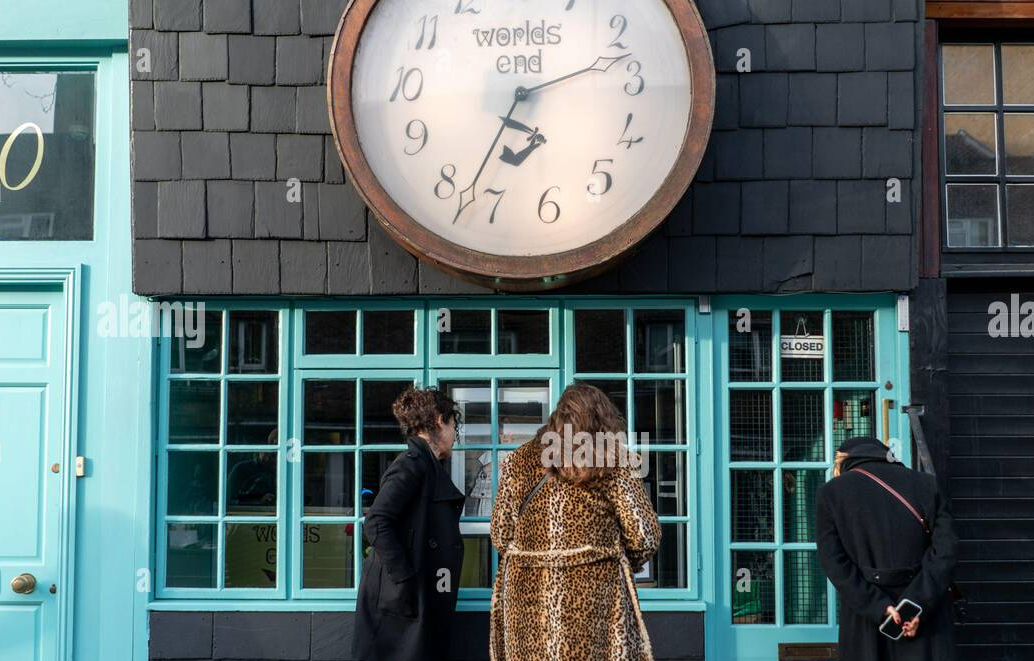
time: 7:12
